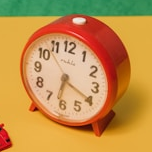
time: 6:19
